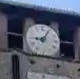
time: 9:05
